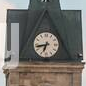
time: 6:42
